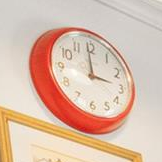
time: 2:58
